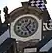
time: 1:24
